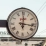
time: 12:16
